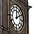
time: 12:09
